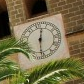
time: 12:30
